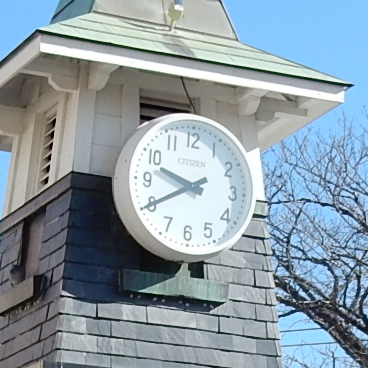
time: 9:40
